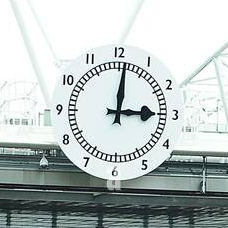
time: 3:01
